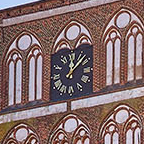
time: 12:07
